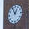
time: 12:55
